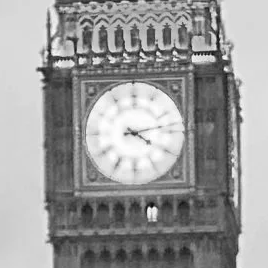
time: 4:12
